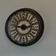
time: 9:12
